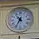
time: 10:34
